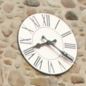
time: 8:20
